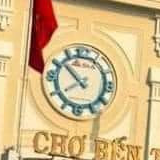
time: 7:52
